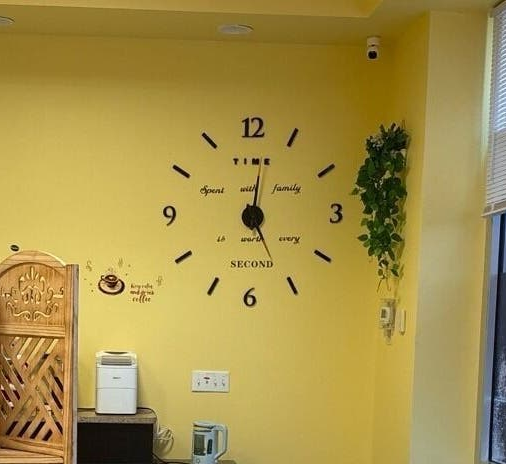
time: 12:26
